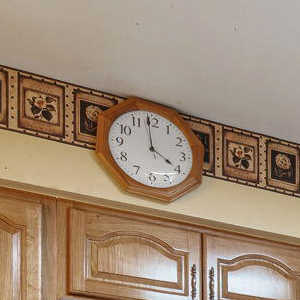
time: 3:58
